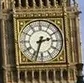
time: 2:33
